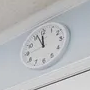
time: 11:56
